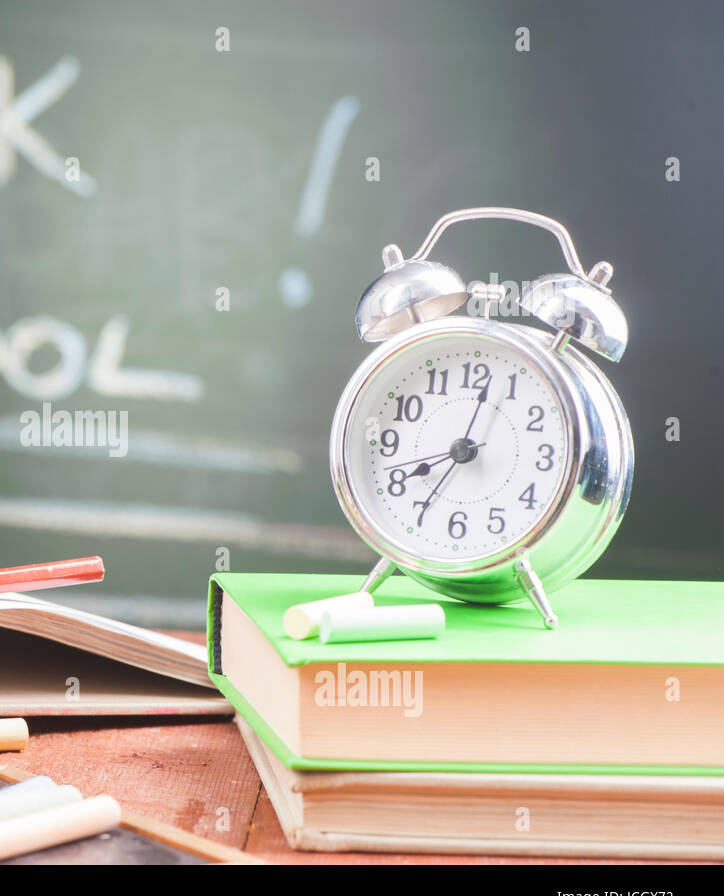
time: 8:02
